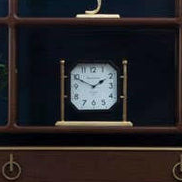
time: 1:49
